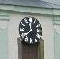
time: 11:37
